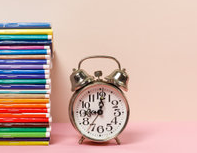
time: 9:01
